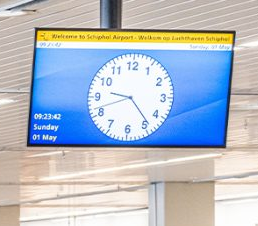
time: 9:23
